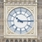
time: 10:14
